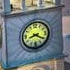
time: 8:20
